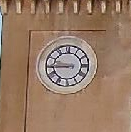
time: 8:45
